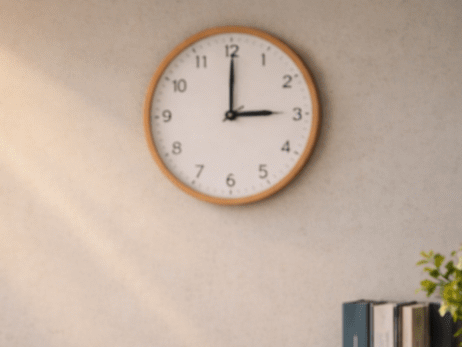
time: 3:00
